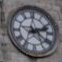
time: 2:21
